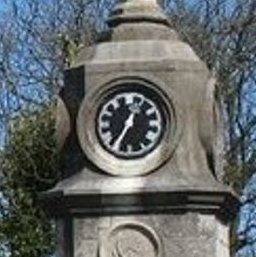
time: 12:34
